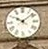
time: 10:08
